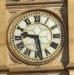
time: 9:28
